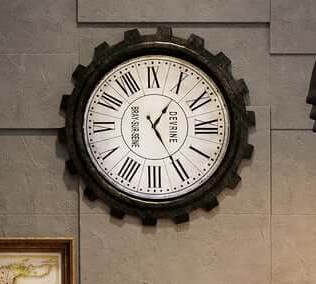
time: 1:25
